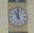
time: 11:00
